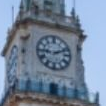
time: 9:11
